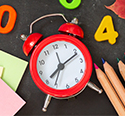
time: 7:11
